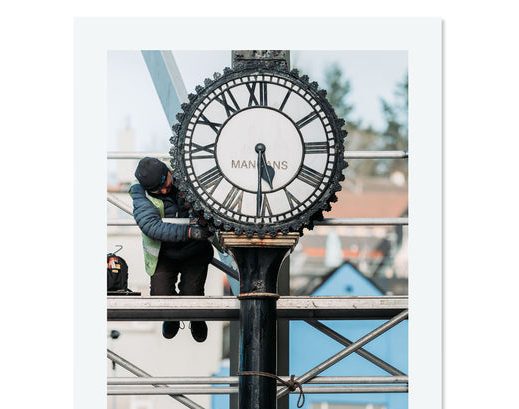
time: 5:30
